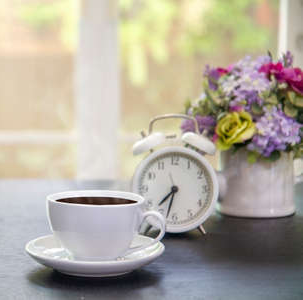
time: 7:32
